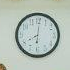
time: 8:01
